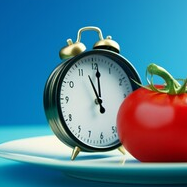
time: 11:00
